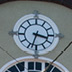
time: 3:33
